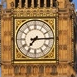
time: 7:14
